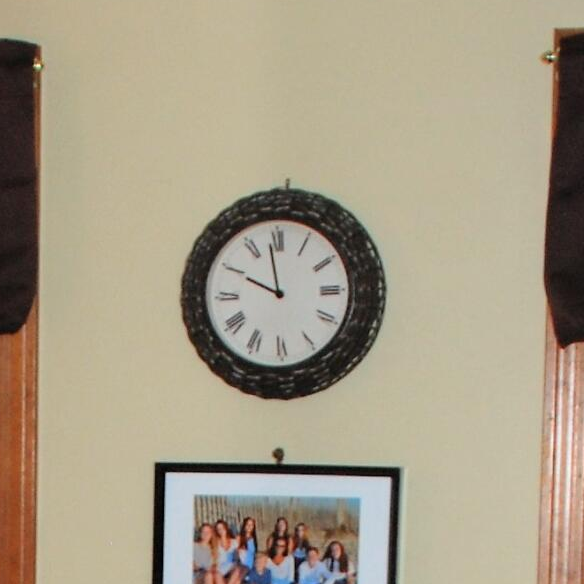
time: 9:58
